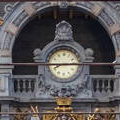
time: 2:44
